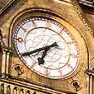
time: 6:39
